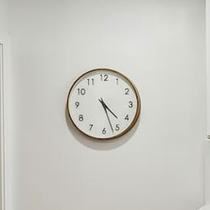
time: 4:26
